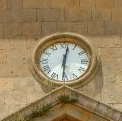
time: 12:30
